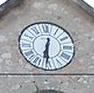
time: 6:30
